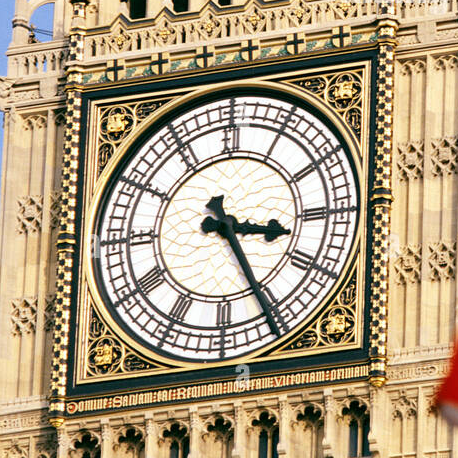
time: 3:25
